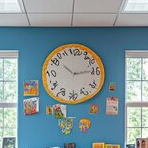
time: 10:13
